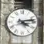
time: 4:12
